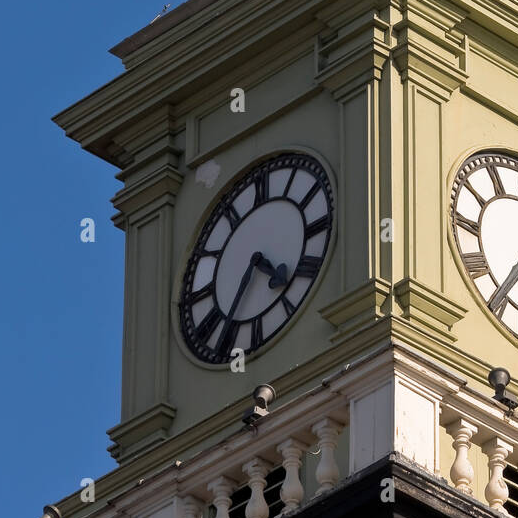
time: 4:35
